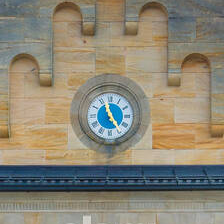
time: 11:24
